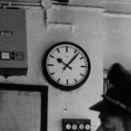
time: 10:07
